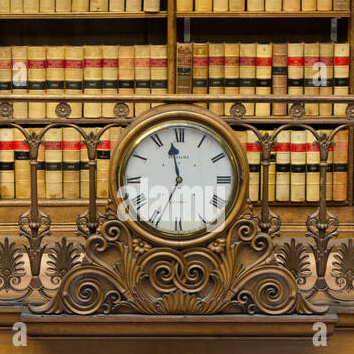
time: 11:34
